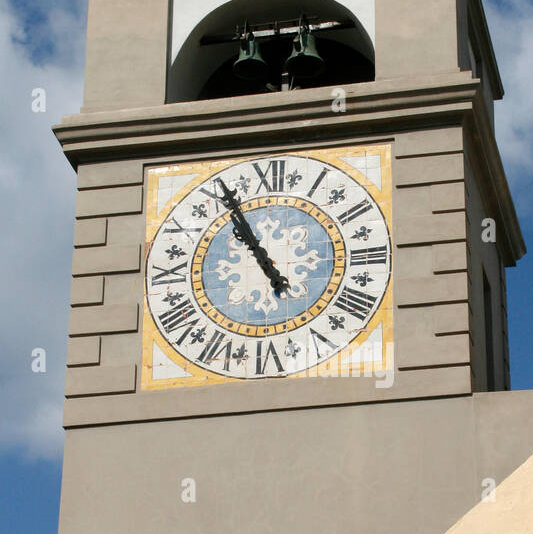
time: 4:54
